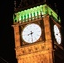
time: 8:29
